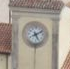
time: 5:09
